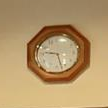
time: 9:27
